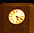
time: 5:18
